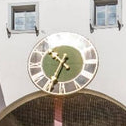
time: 10:34
